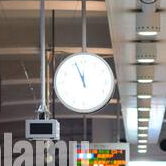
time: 11:56
